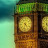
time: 4:32
